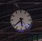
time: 5:38
